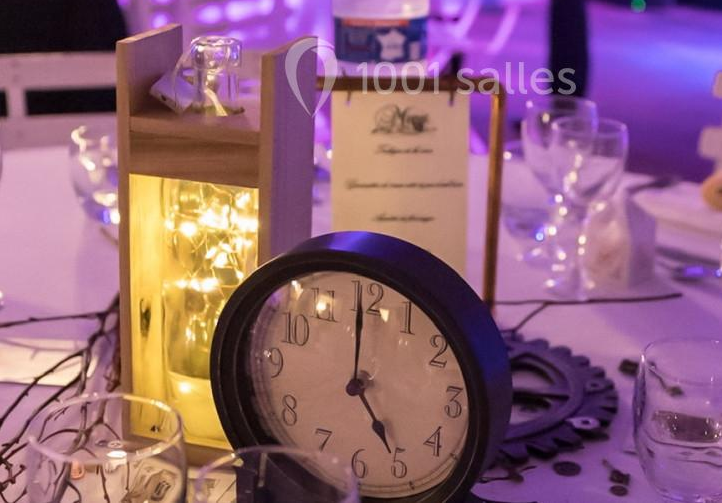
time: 5:00
